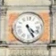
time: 4:25
